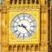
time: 9:22
